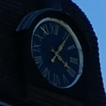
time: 4:06
